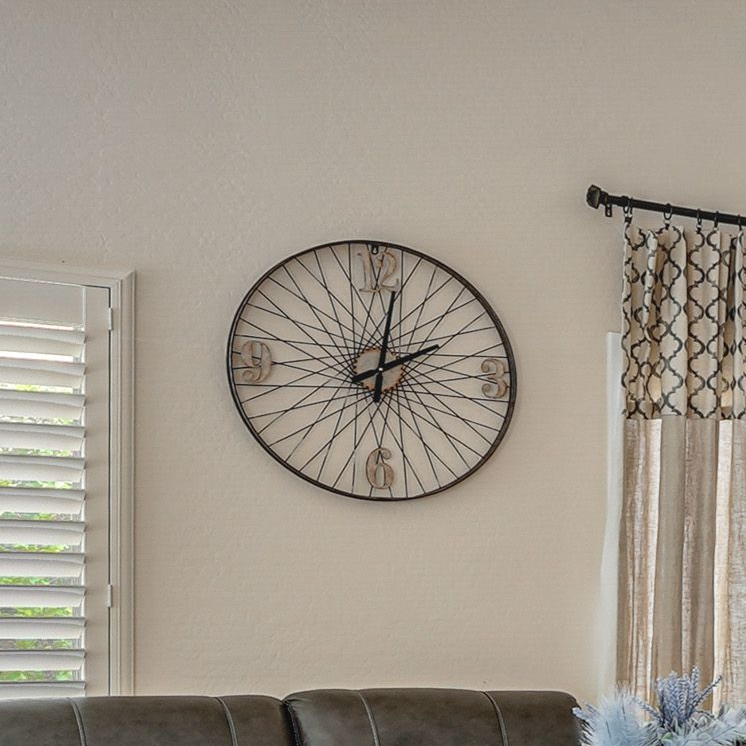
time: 2:02
